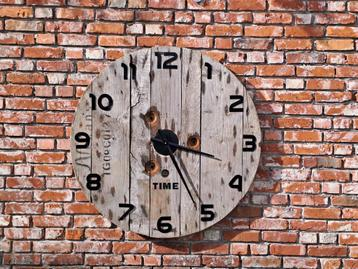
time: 3:25
